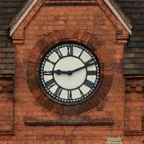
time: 9:11
